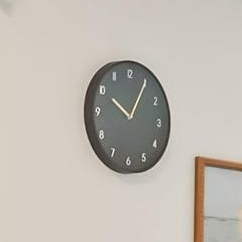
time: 10:05
